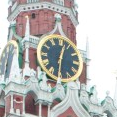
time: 12:30
